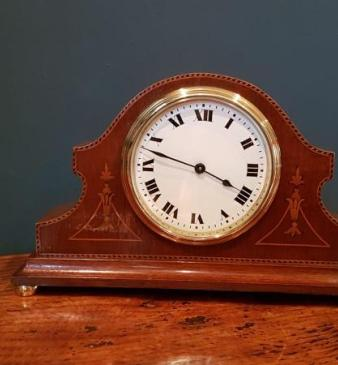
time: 3:47
